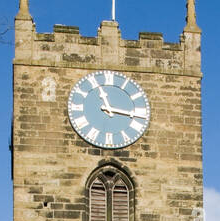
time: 11:16
